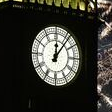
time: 12:06
